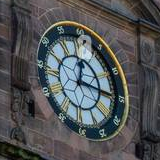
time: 12:14
